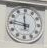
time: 11:46
